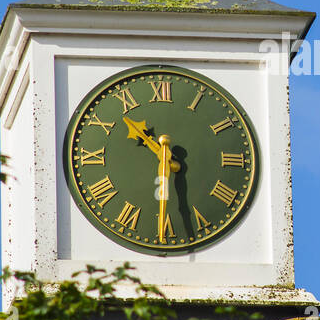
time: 10:30
